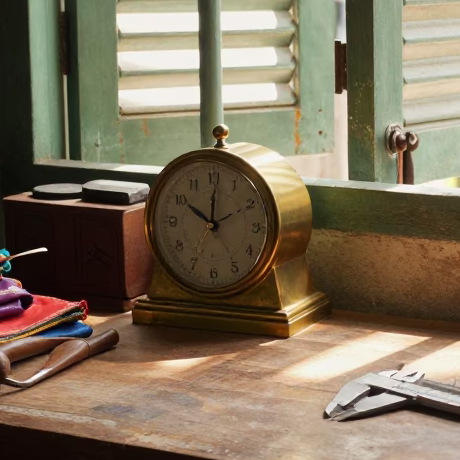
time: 10:01
